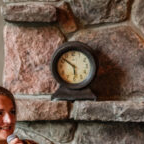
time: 5:51
